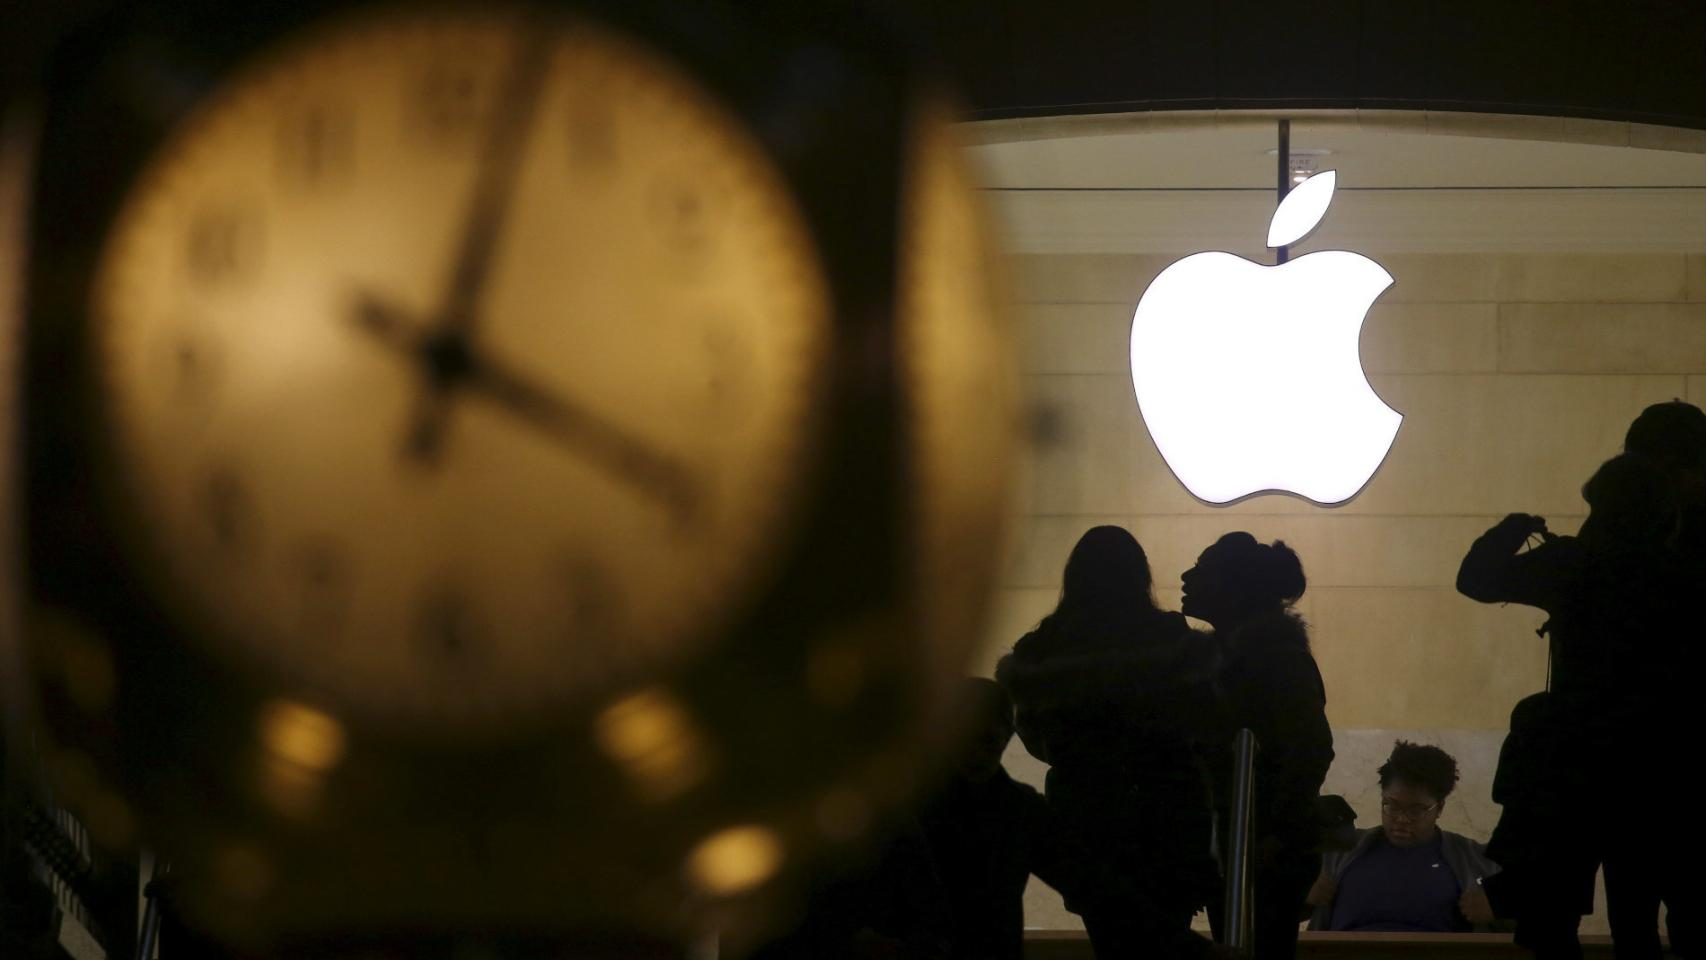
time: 4:02
